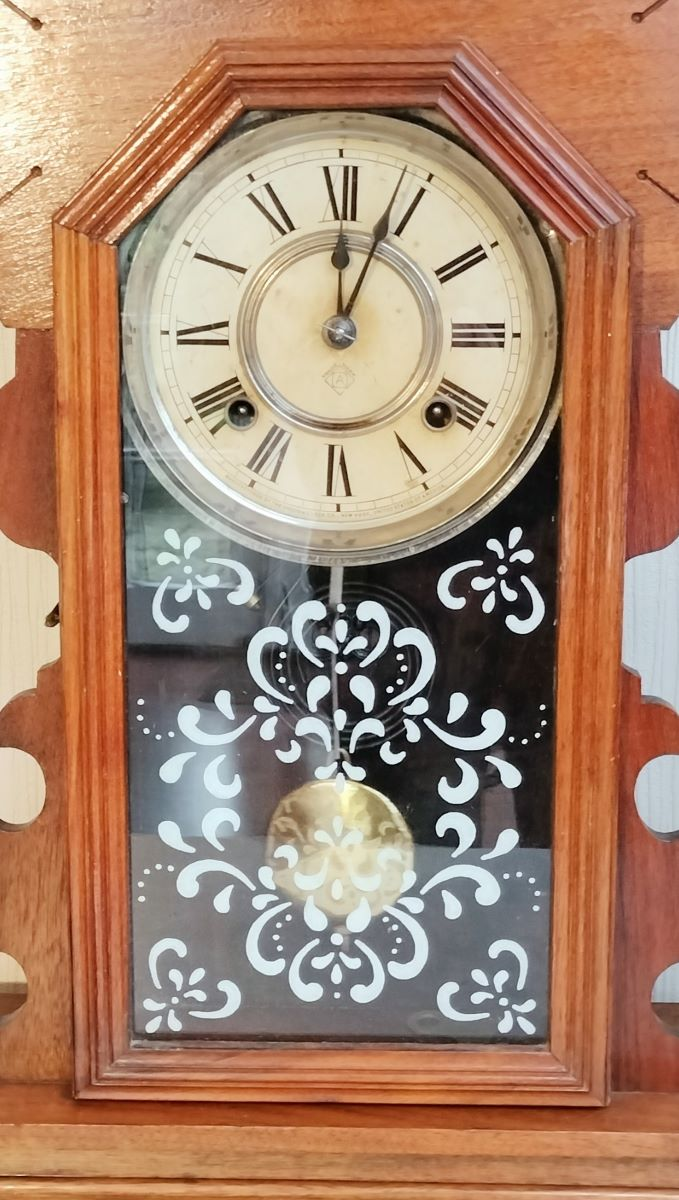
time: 12:03
